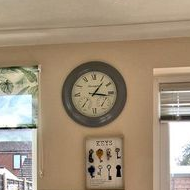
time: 1:16
